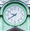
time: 9:39
